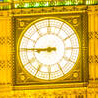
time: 8:45
